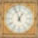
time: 12:56
